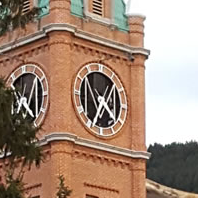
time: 4:35
